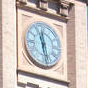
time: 11:28
